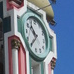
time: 10:39
